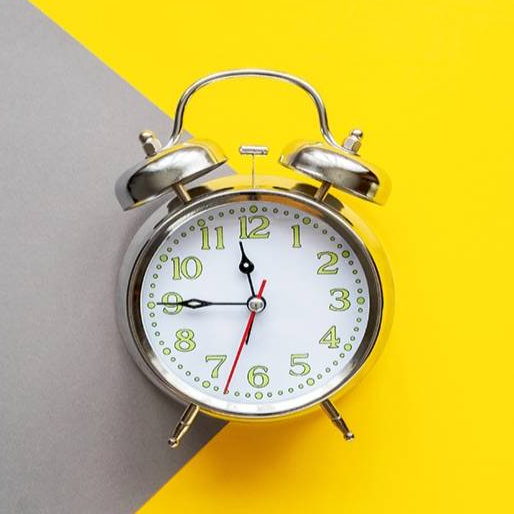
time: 11:44
